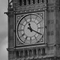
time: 11:19
